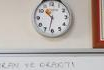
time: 10:32
